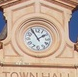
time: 1:54
